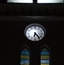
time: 6:23
